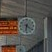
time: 6:21
